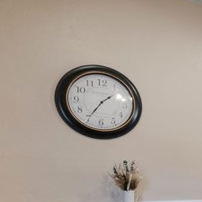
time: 1:35
